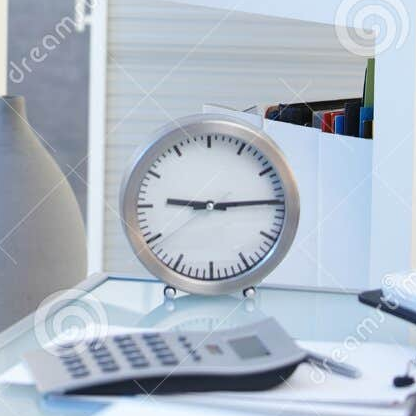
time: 9:14
